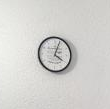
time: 4:03
